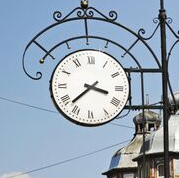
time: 3:37
